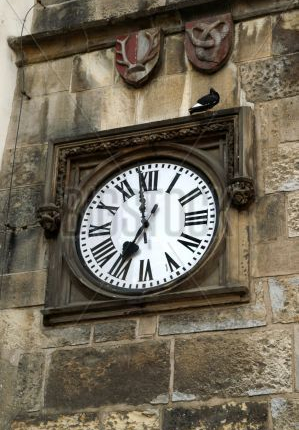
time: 6:58
